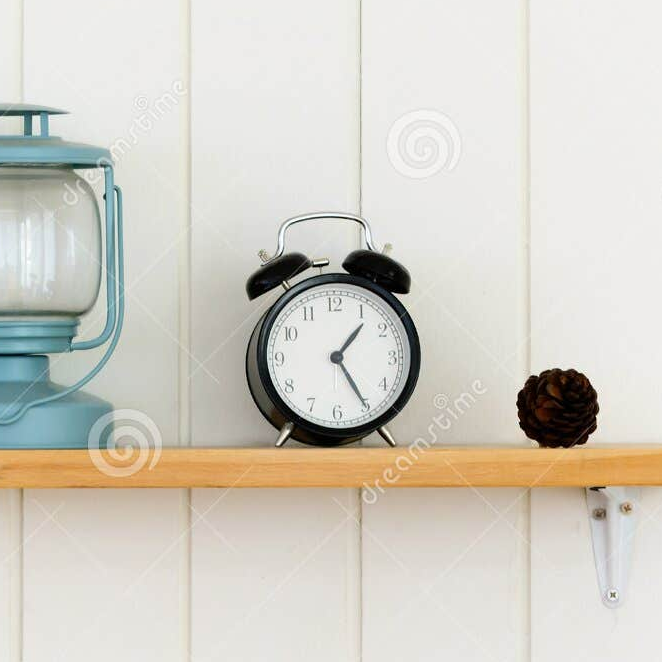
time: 1:24
